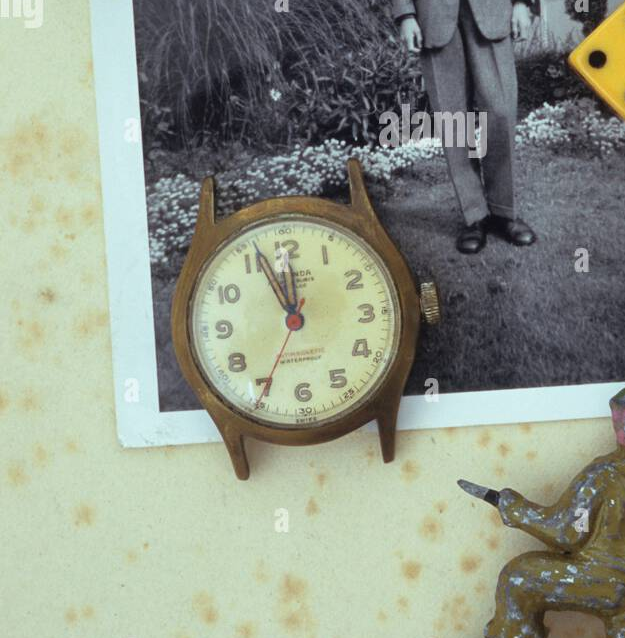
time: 11:56
